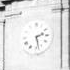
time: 2:27
